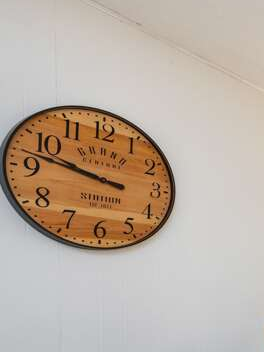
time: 9:47
